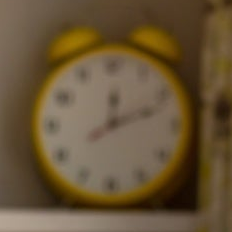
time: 12:11
